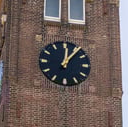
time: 12:06
